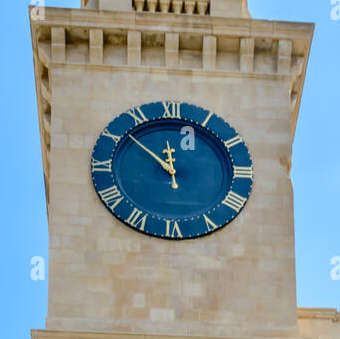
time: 11:51
